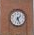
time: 1:26
